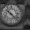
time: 10:22
